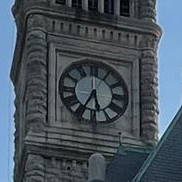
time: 5:34
